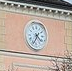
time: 4:34
